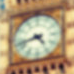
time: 4:42
